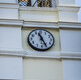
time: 11:25
